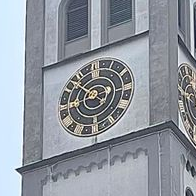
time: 8:52
